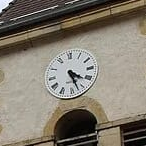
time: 4:27
